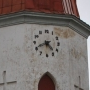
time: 4:40
